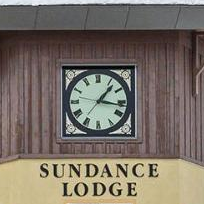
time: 1:16
